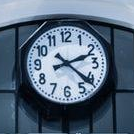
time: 2:21
